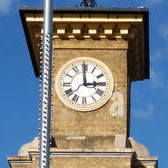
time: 2:59
